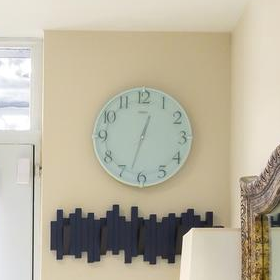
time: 12:32
